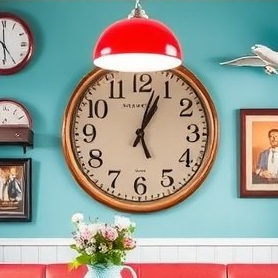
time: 1:03
